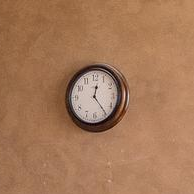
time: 12:23
